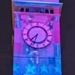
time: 7:33
